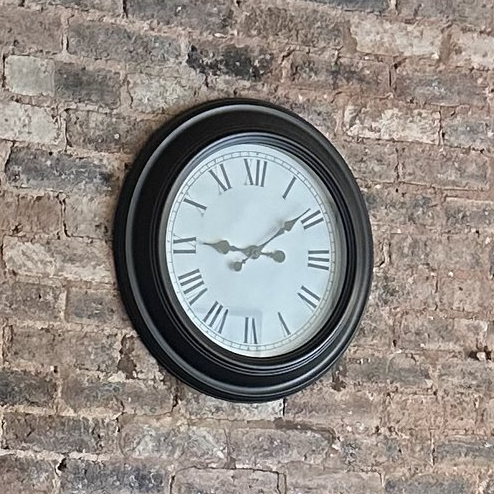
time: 9:09
